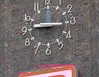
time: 9:16
